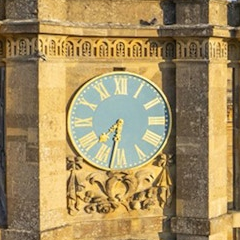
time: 7:32
